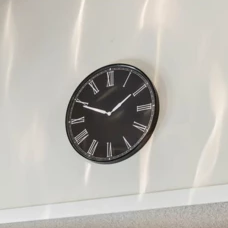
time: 1:49
